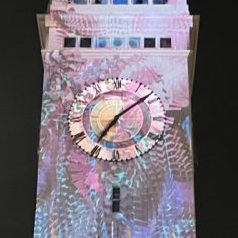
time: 7:09
